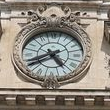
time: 4:40
